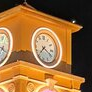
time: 7:19
